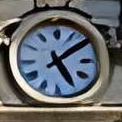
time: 5:09
